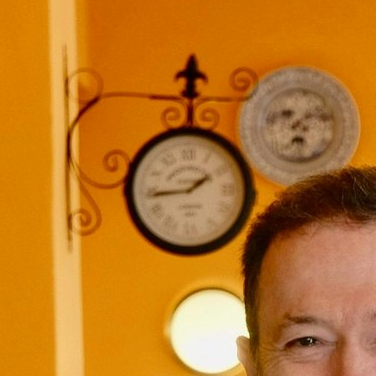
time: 1:44
